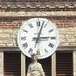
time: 3:02
